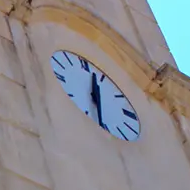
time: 12:32
